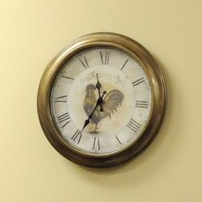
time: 11:34
